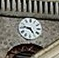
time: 4:46
